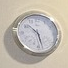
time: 10:27
